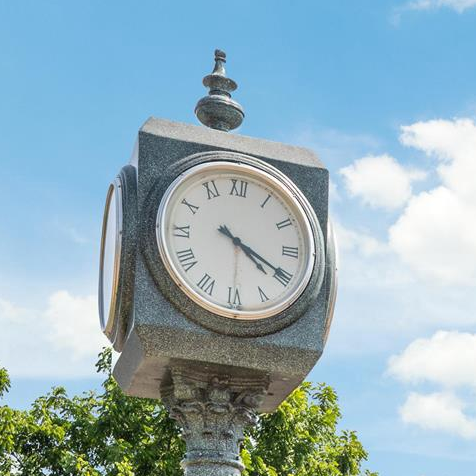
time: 4:19
